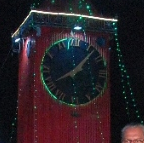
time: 8:07
